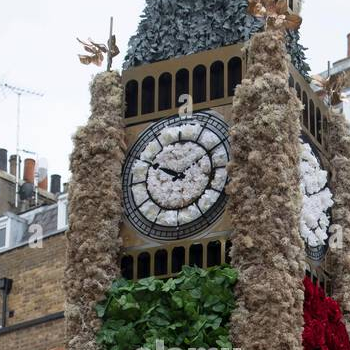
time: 1:49
